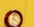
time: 4:02
